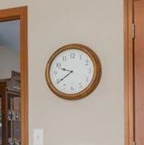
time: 9:39
